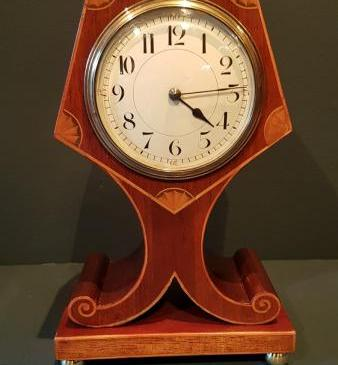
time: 4:14
